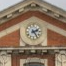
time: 2:23
